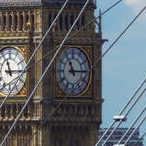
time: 11:14
